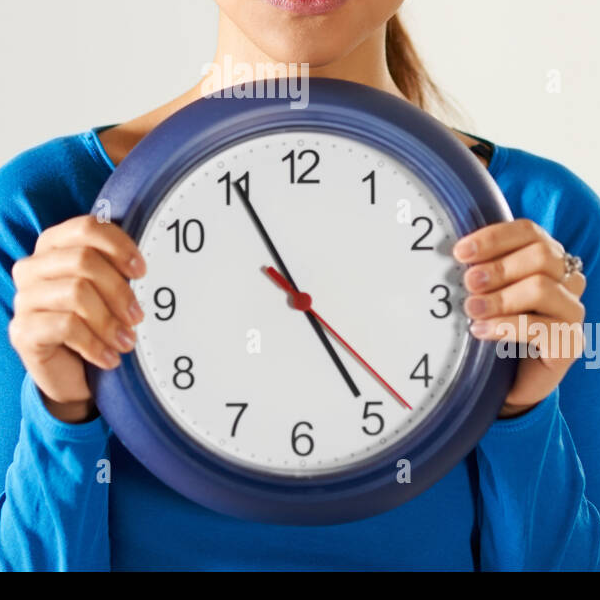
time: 4:55
